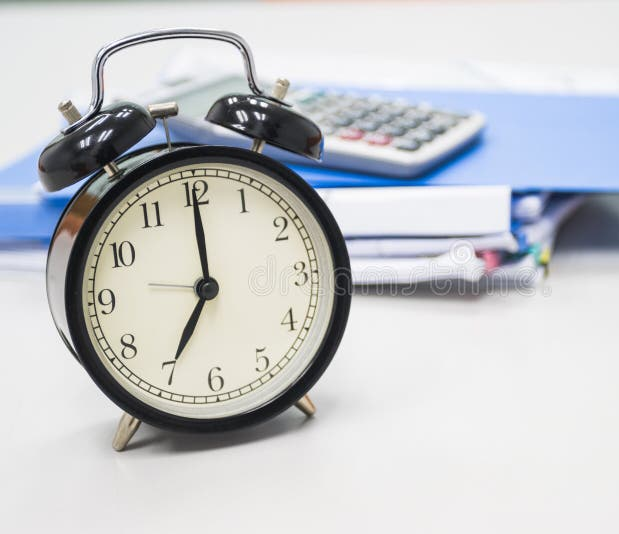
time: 7:00
